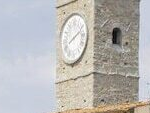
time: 8:11
